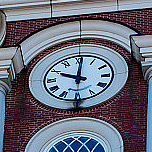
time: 10:00
